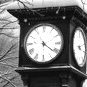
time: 4:21
